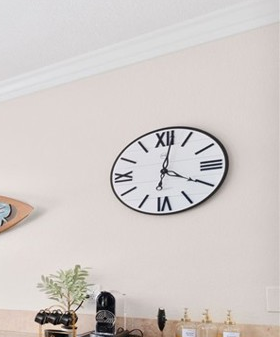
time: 4:01
